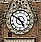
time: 4:50
